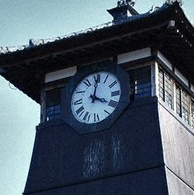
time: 4:01
